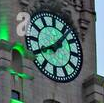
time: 8:07
